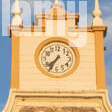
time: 7:35
